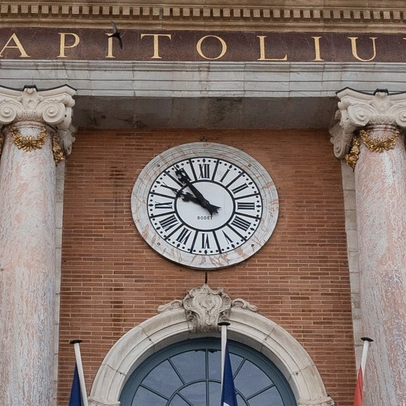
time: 9:53
